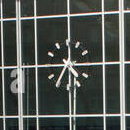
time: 4:35
